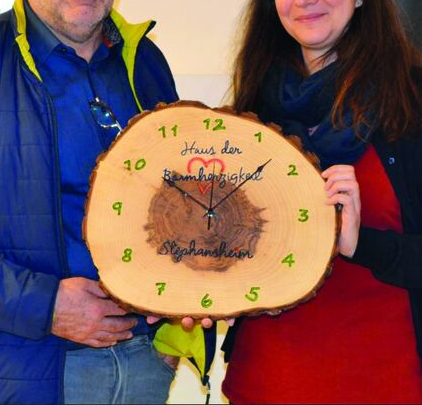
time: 10:07
